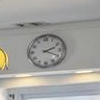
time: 2:19
